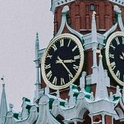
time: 3:23
